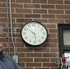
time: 10:28
